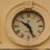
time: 10:26
